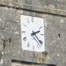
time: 2:21
